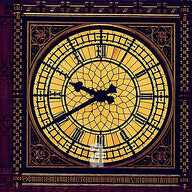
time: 9:40
